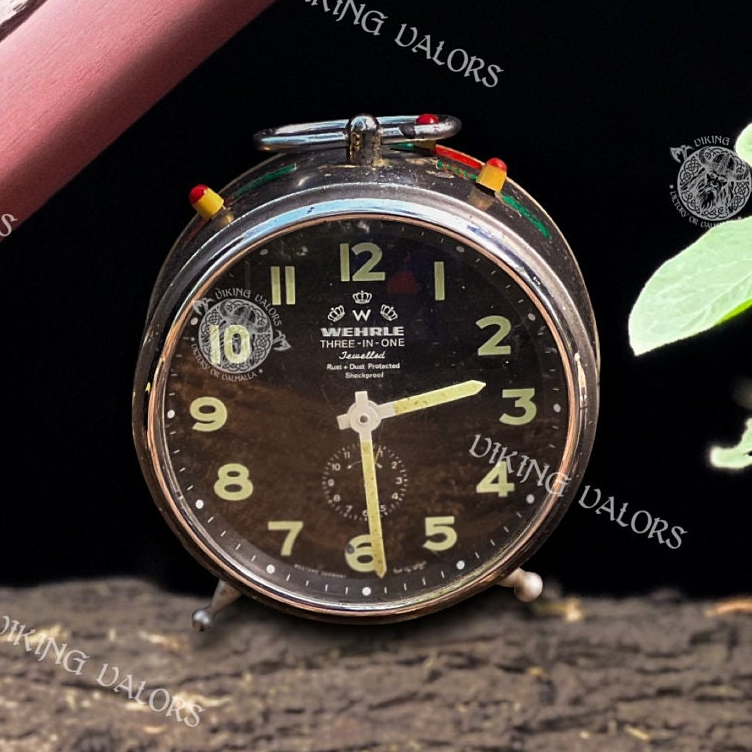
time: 2:29
